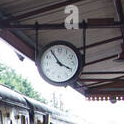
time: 3:54
